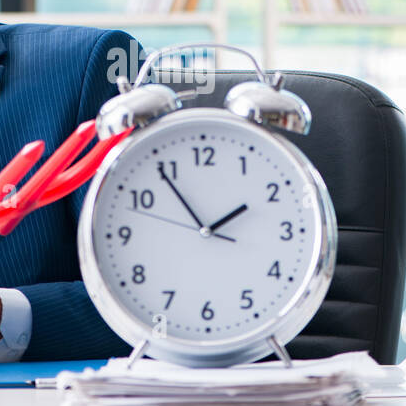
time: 1:54
